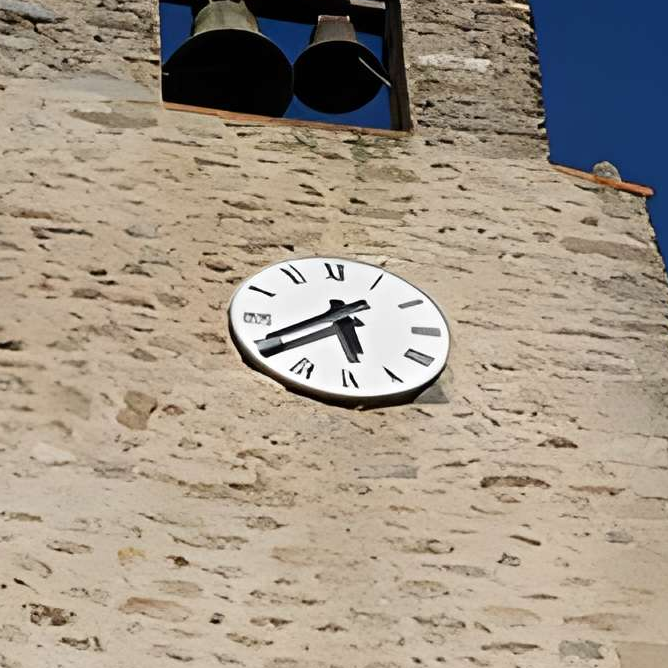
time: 5:38
